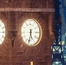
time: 5:32
